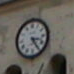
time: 3:24
